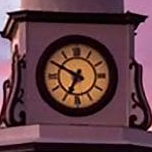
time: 6:49
